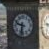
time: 9:32
